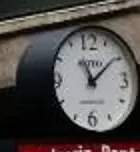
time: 11:08
